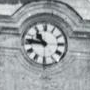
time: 10:46
